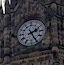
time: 2:25
